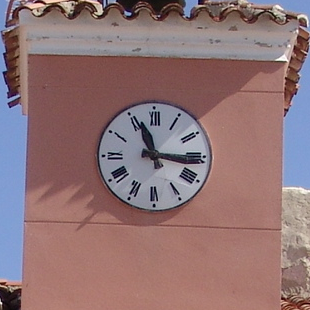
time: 11:16
